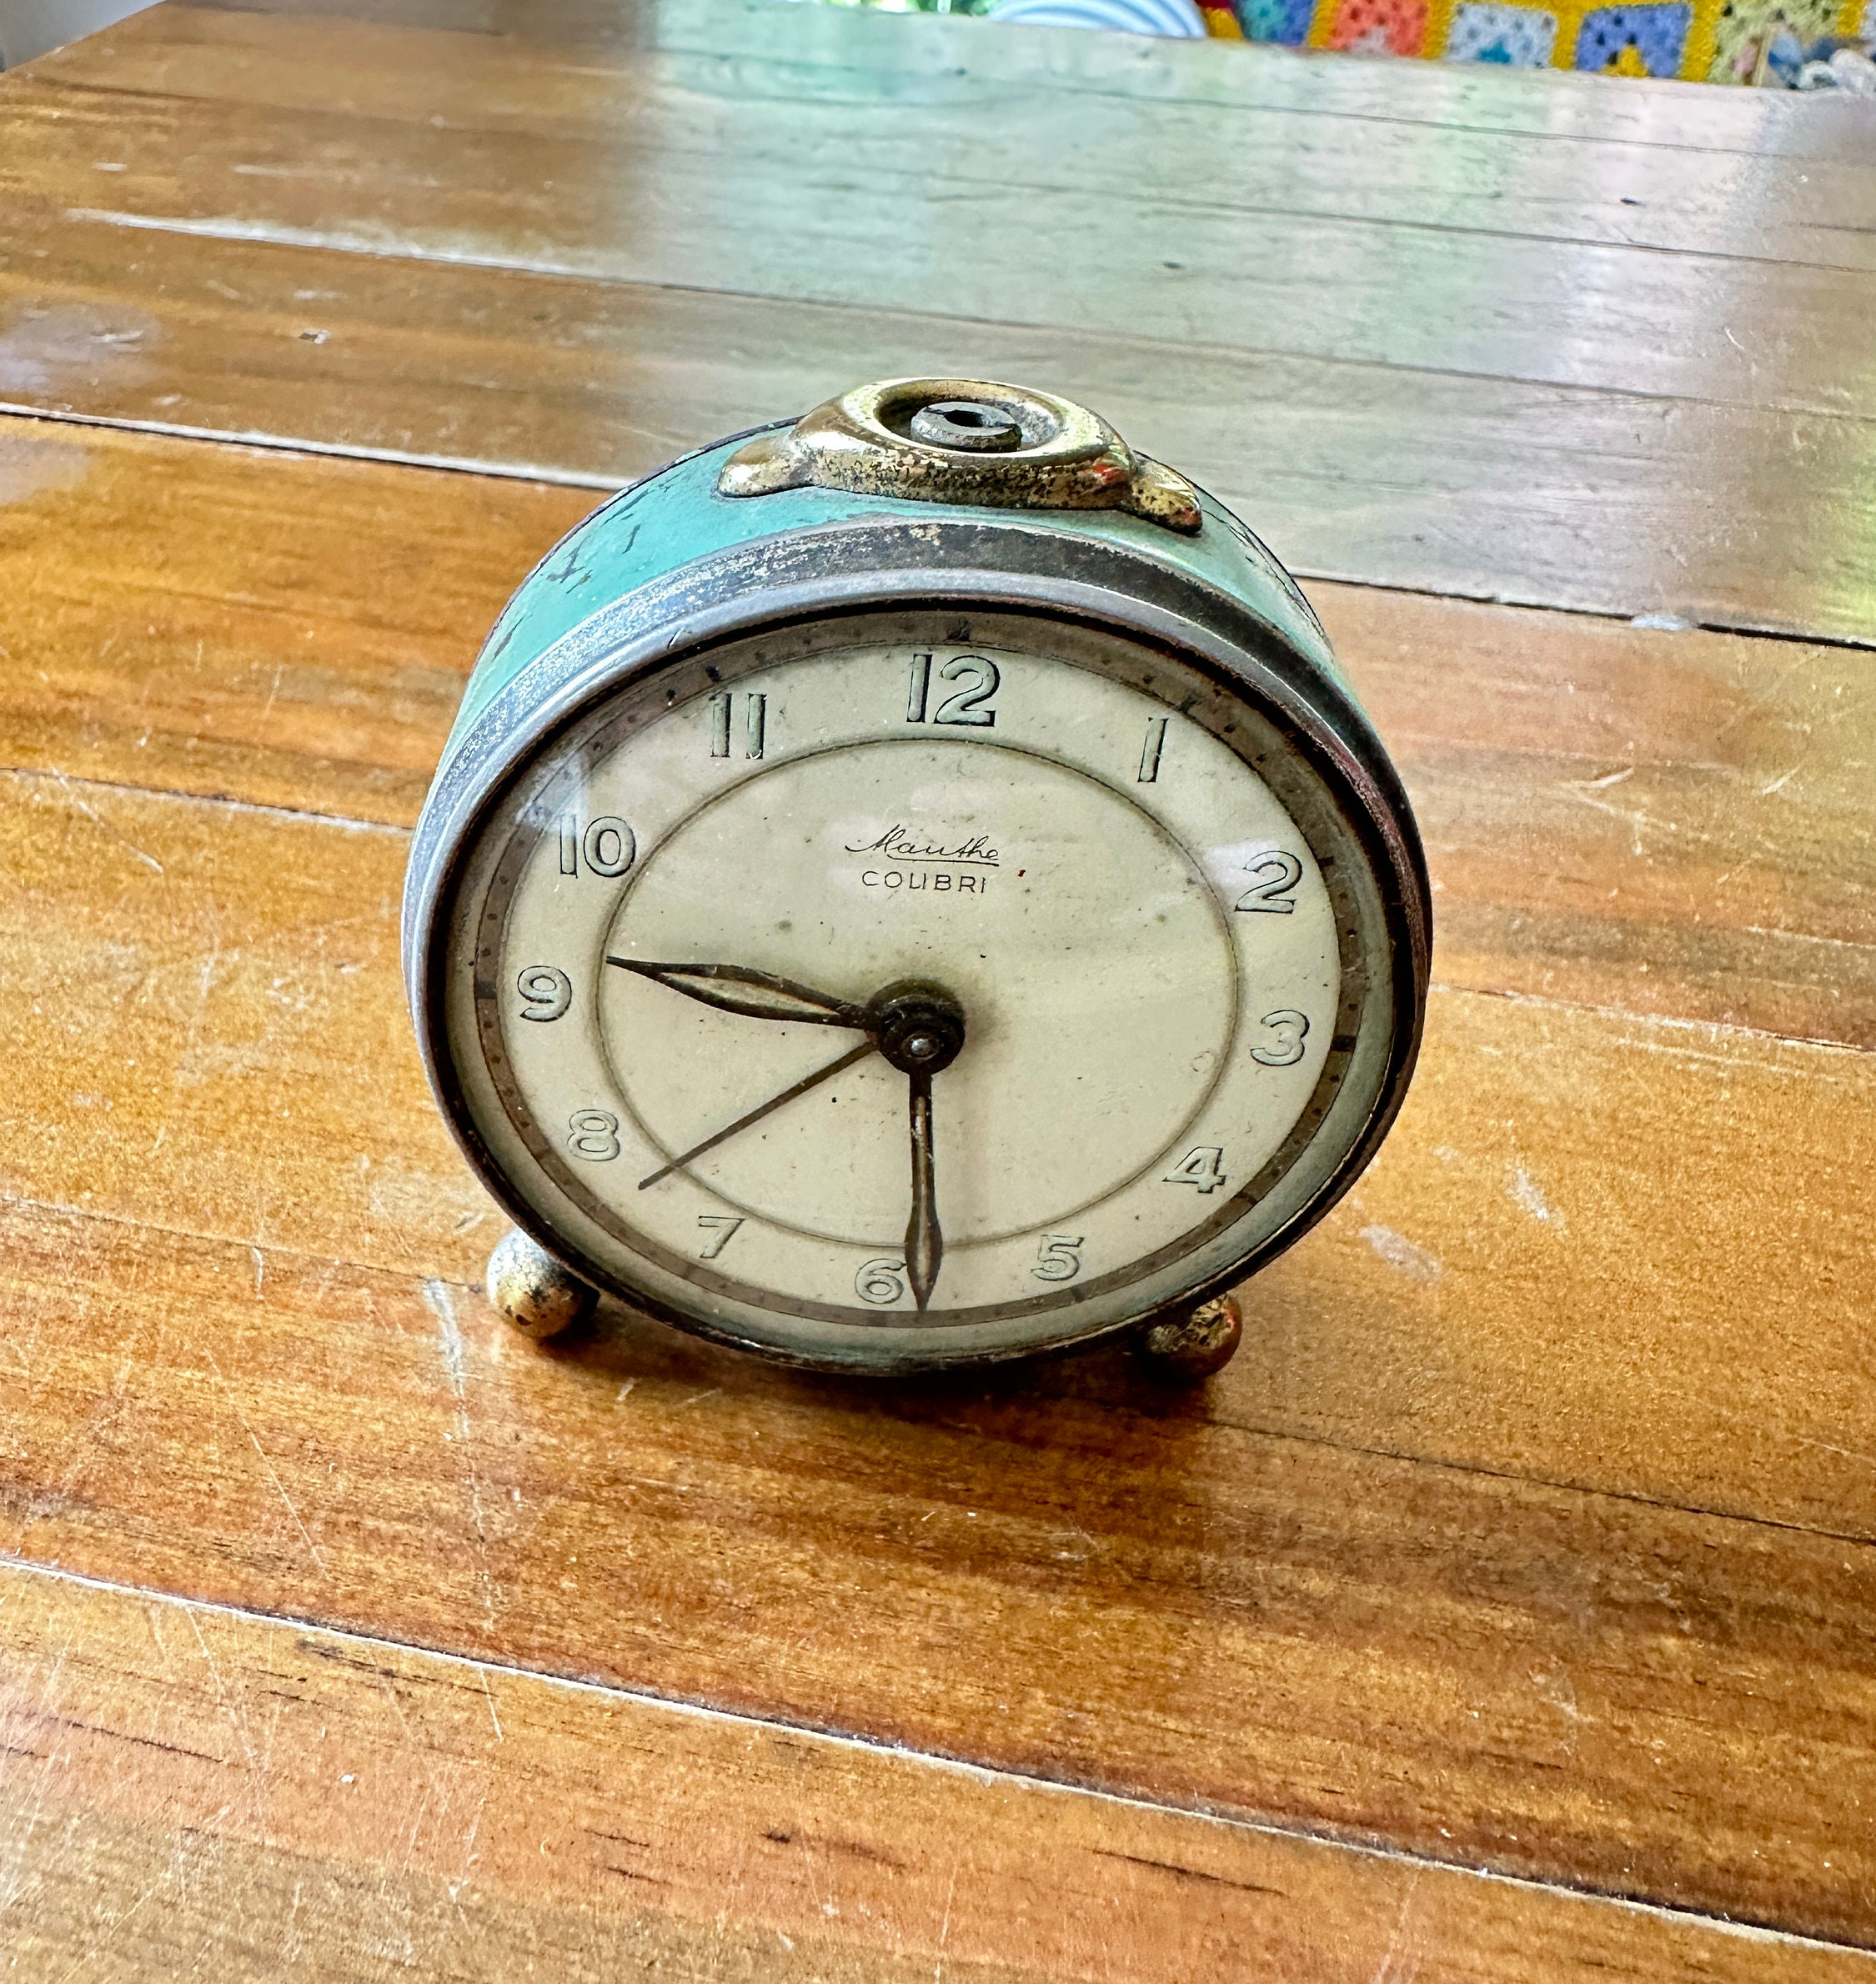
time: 5:46
